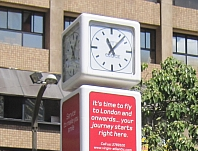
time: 11:07
